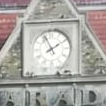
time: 1:56
